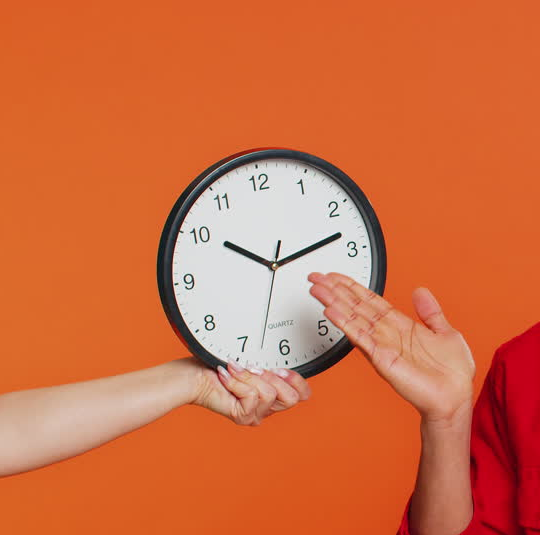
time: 10:12
